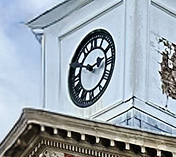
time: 2:48
